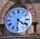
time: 4:31
